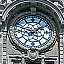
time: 1:47
